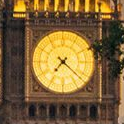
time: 7:21
